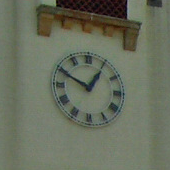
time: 12:49
